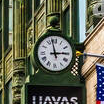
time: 2:58
